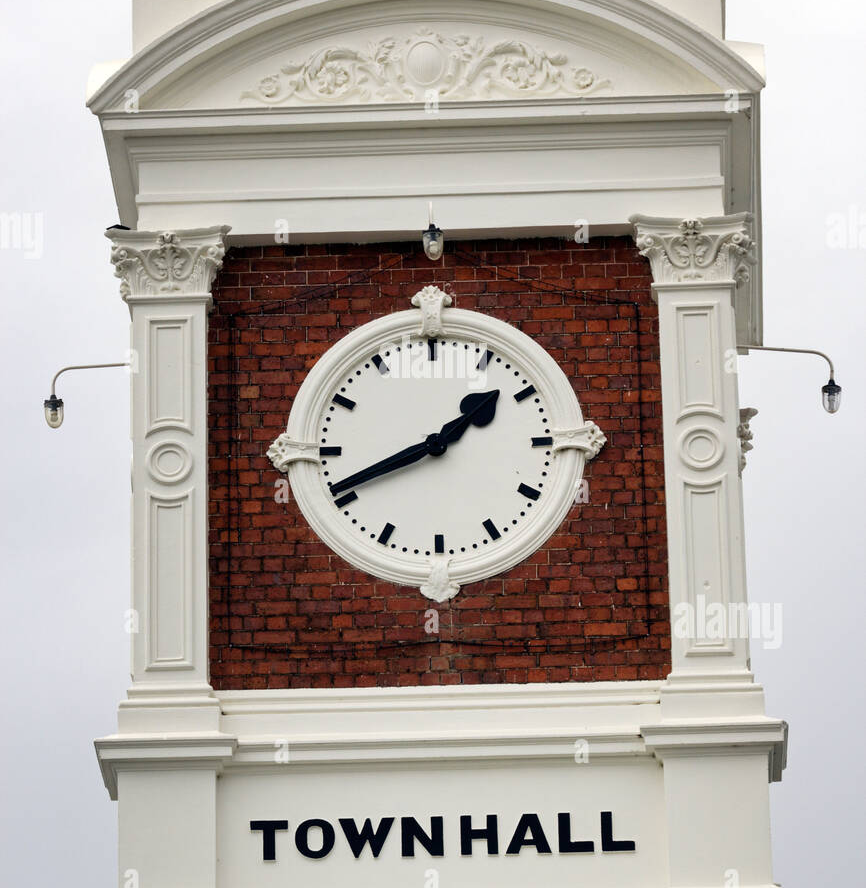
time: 1:41
